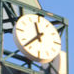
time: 11:37
